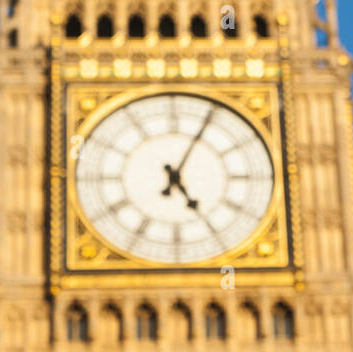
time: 5:04
